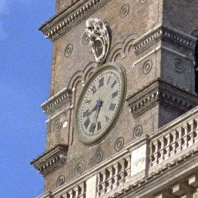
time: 8:32
